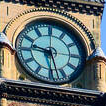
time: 9:27
